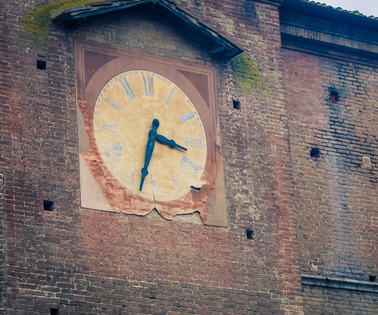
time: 3:33
